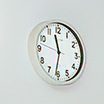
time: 11:31
